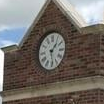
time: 1:28
